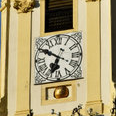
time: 6:50
